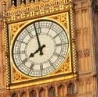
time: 7:58
